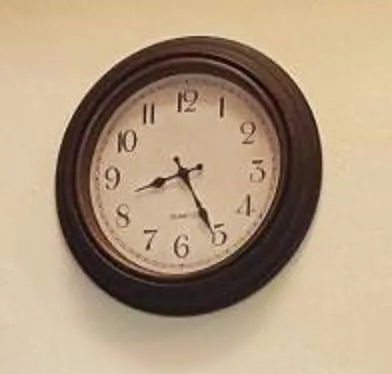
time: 8:25
